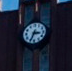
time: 3:34
